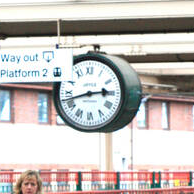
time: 2:42
